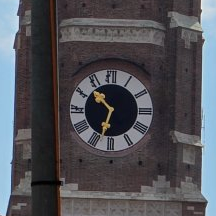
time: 10:33
